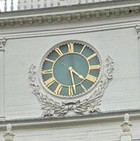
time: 4:28
